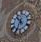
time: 10:34
